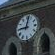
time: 9:02
